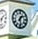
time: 1:28
